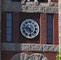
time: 9:28
